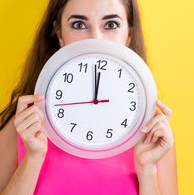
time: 11:58
